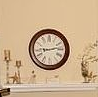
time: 9:13
